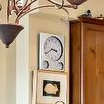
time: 3:40
